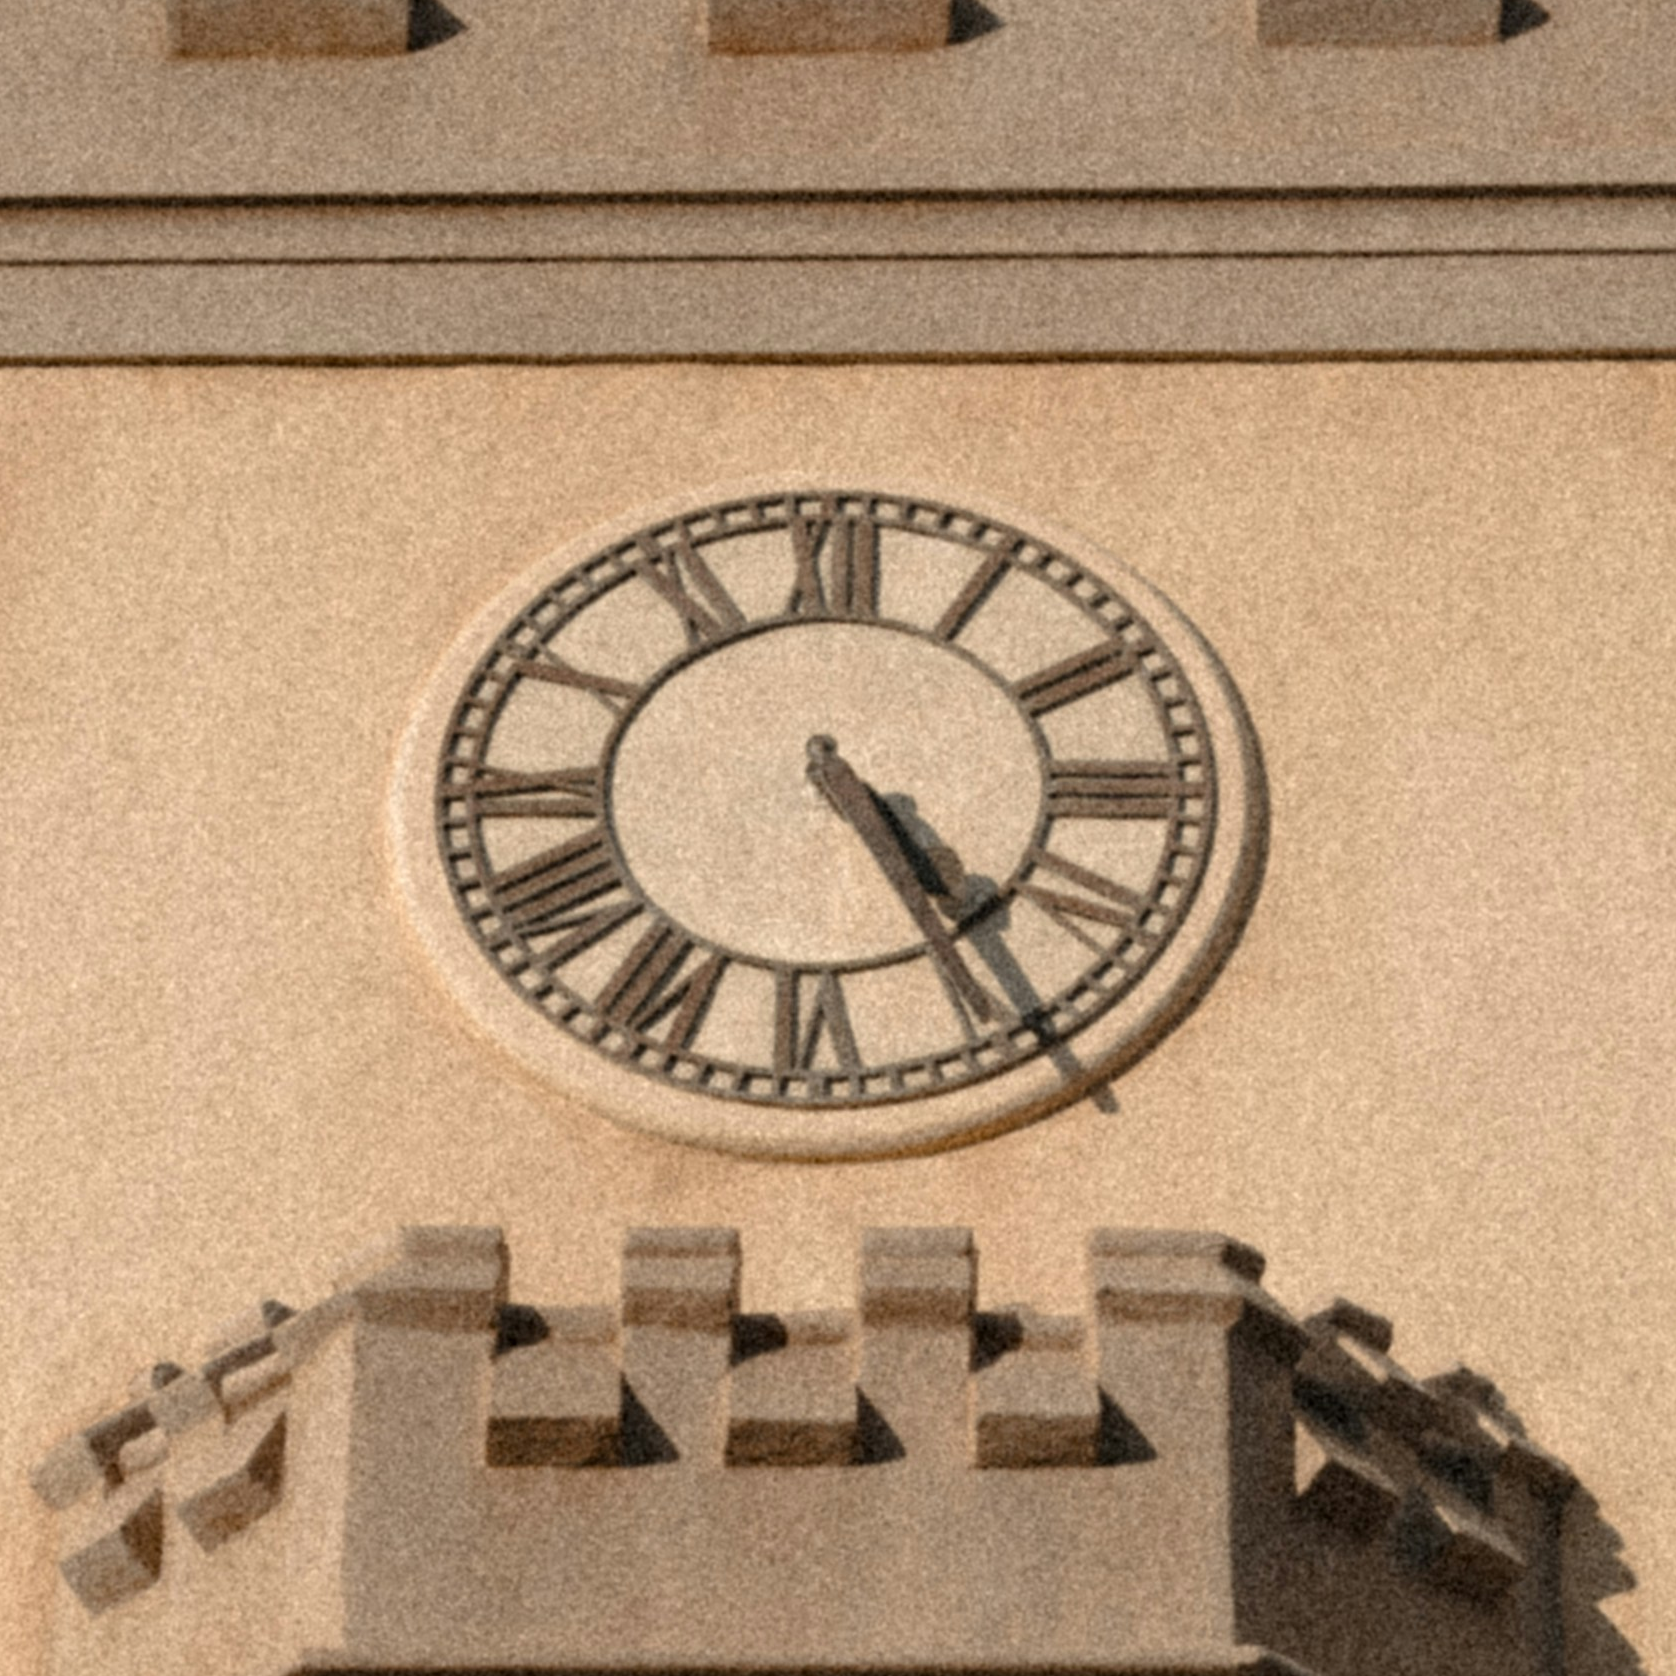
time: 4:24
